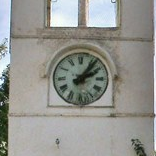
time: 2:06
